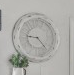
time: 9:23
